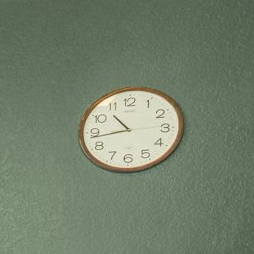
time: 10:43
